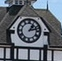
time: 1:12
